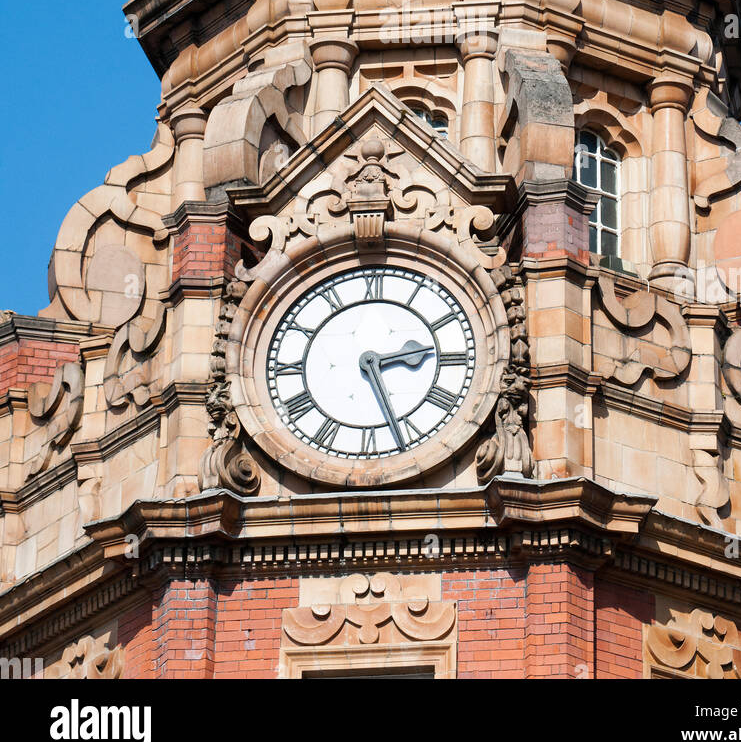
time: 2:26
